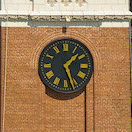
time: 1:26
